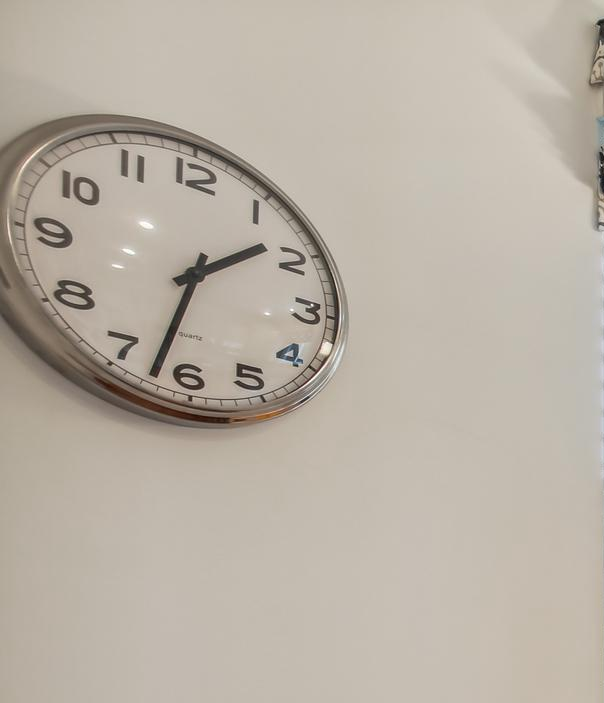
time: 1:32
